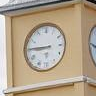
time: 8:45
